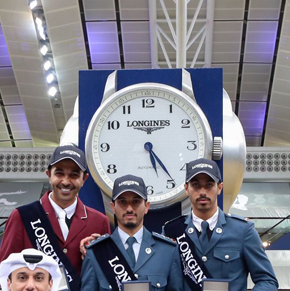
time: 5:24
